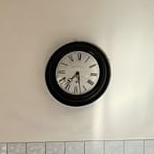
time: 7:27
